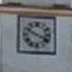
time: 3:50
